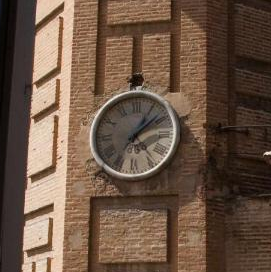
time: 1:08
